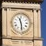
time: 11:28
